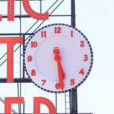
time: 5:29
